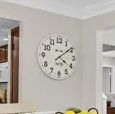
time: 4:09
